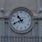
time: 10:41
